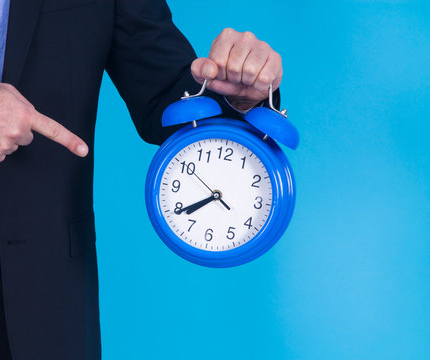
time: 7:39
